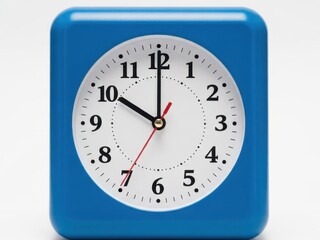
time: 10:00
